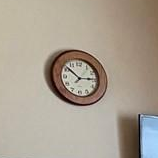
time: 10:14
